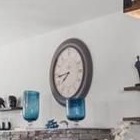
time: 7:43
